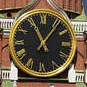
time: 11:06
